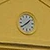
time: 1:39
